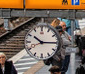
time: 10:14
